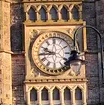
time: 9:43
